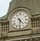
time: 4:31
